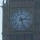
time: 2:26
